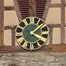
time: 4:07
